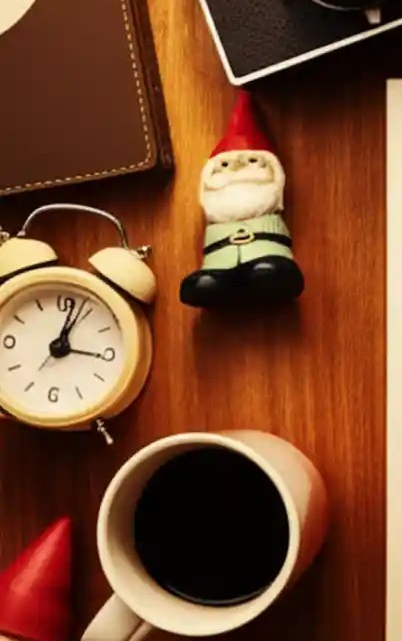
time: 3:02
